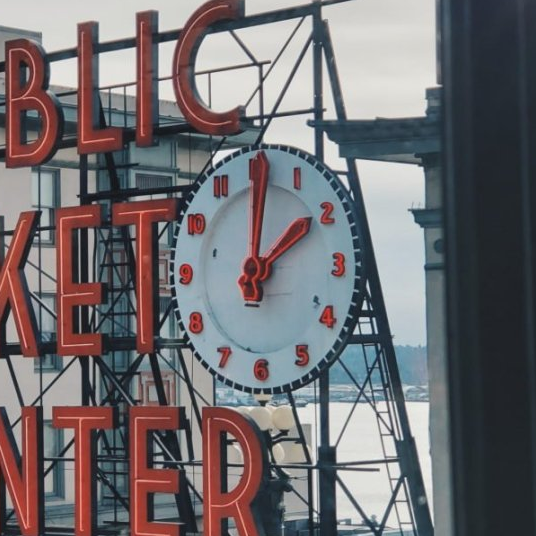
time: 2:01
